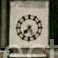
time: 7:25
